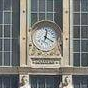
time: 12:19
